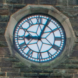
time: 9:04
